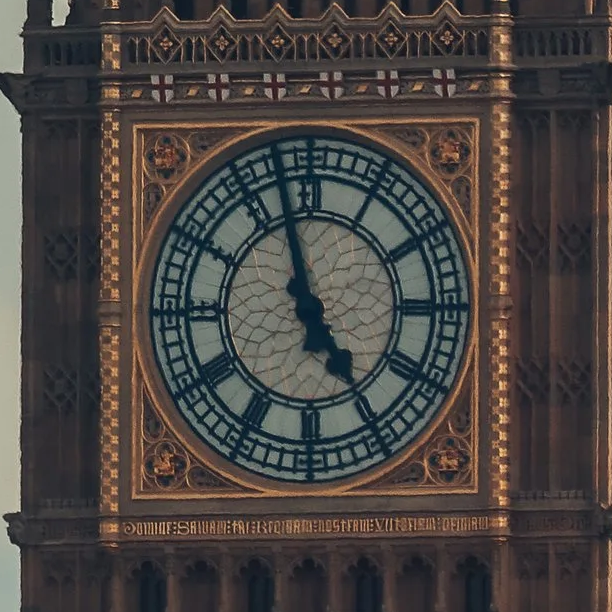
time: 4:57
